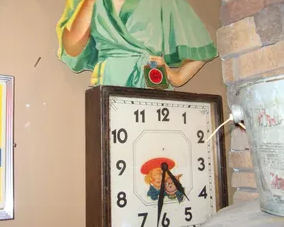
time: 4:32
